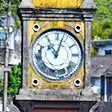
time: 11:03
